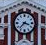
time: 3:37
